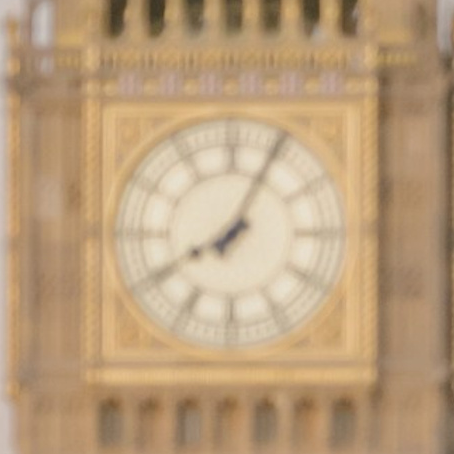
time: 8:04
